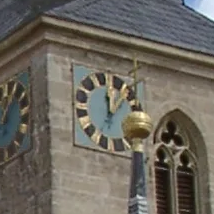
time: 12:07
